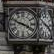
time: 3:48
